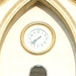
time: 7:37
